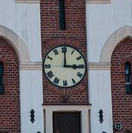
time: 3:00
